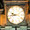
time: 9:43
